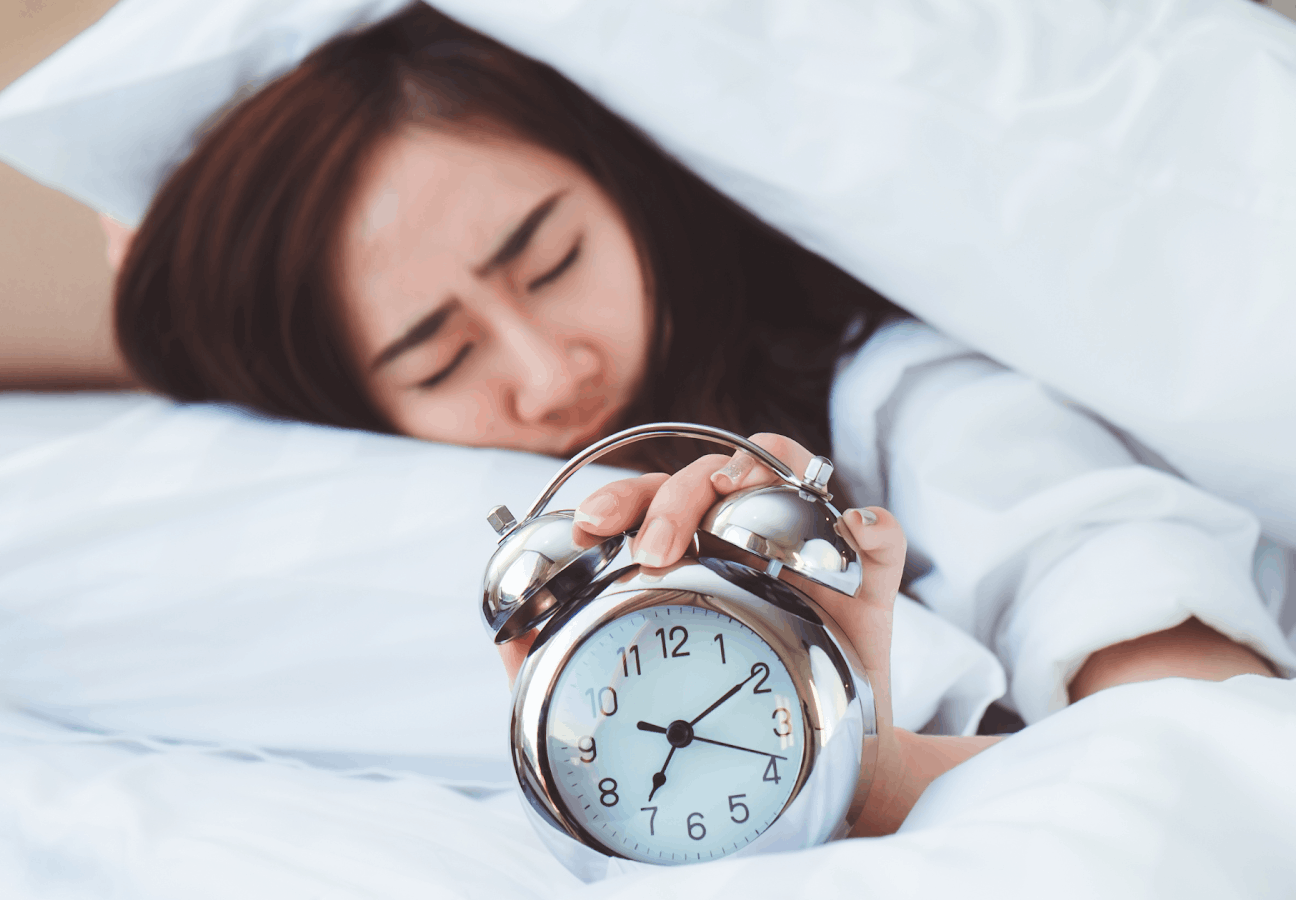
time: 7:09
